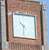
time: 10:31
